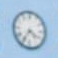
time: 4:35
